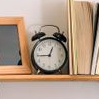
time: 12:44
